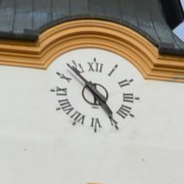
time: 4:53
